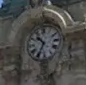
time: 10:34
